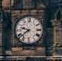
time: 9:39
